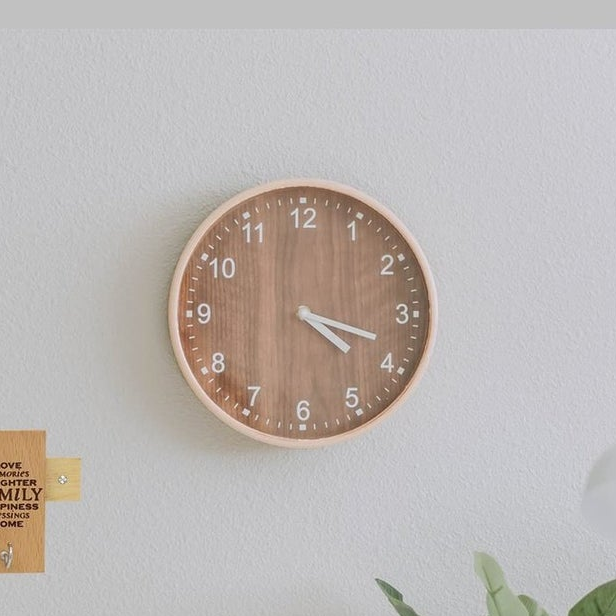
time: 4:18
